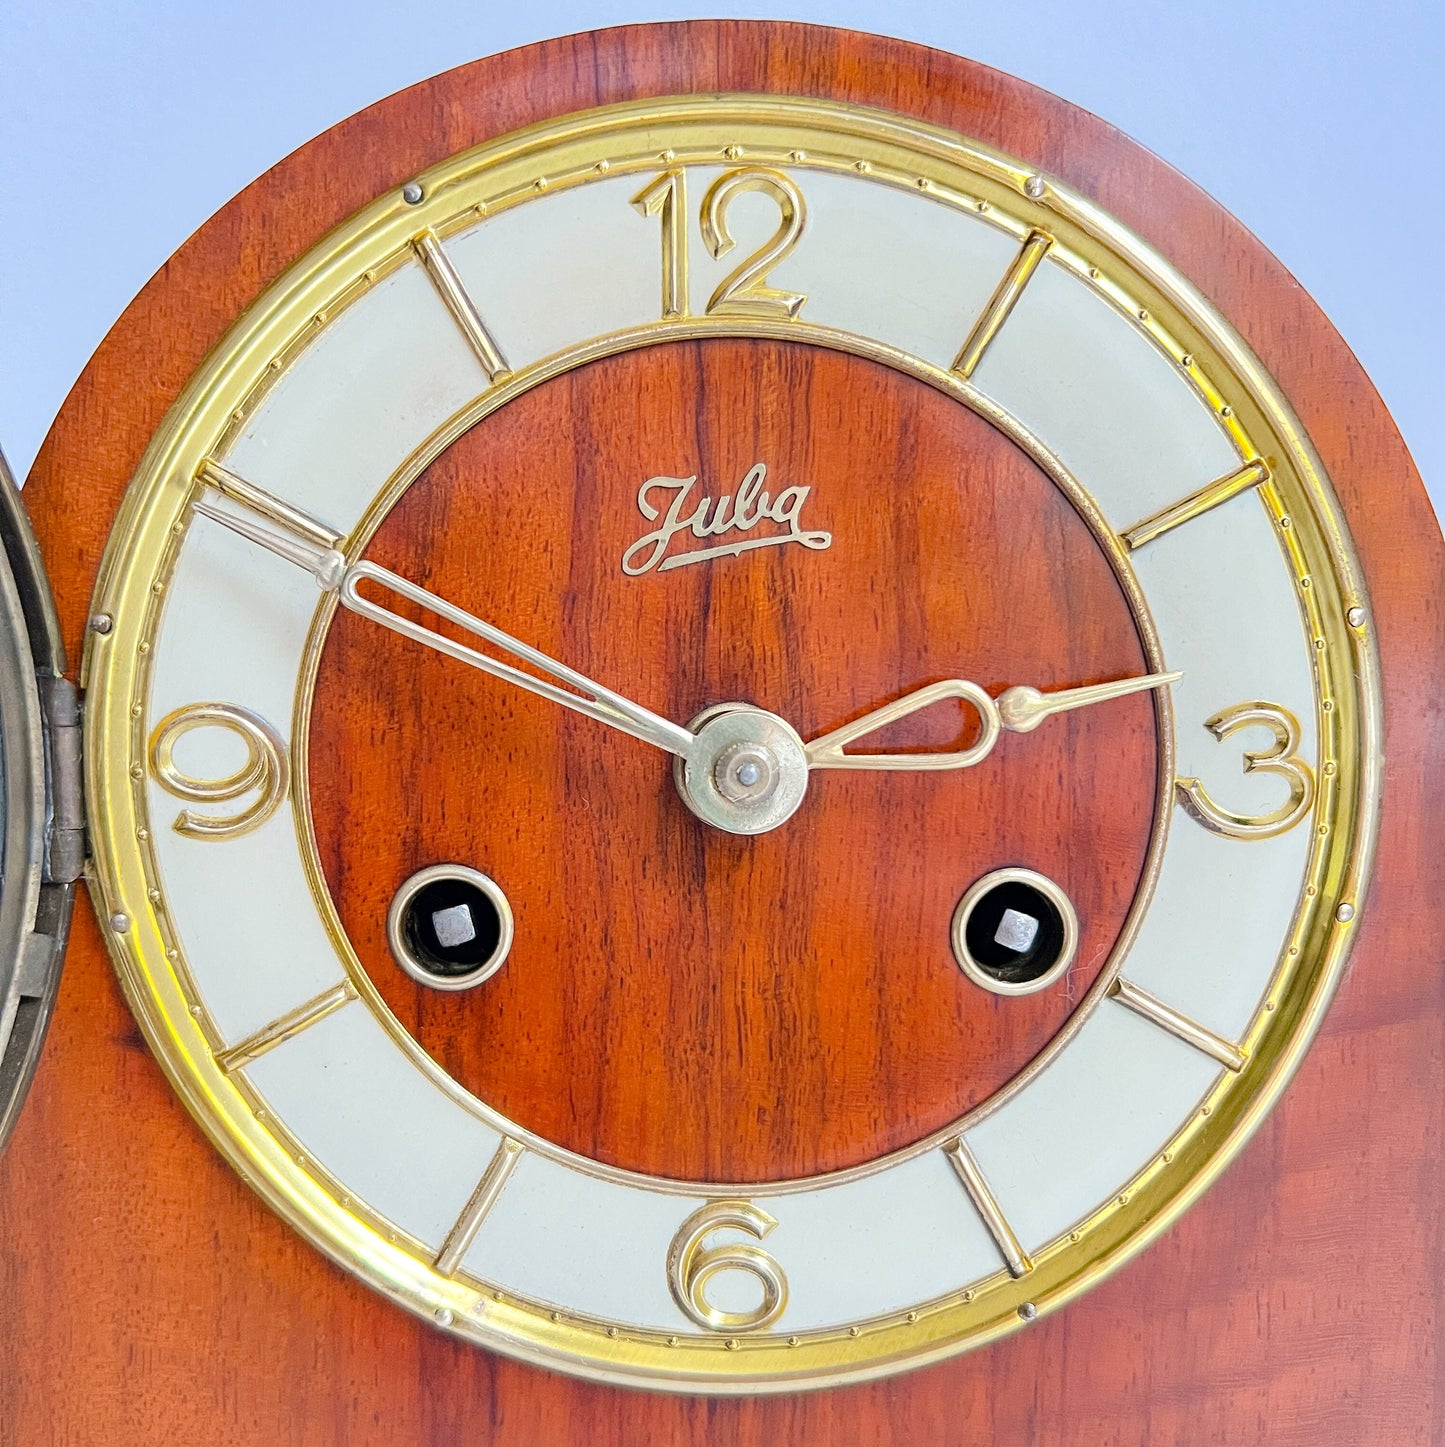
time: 2:49
